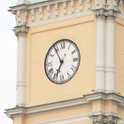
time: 6:54
